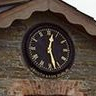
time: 12:27
